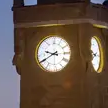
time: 9:40
